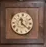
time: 11:21
